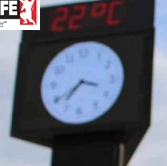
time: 3:37
